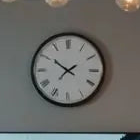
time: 1:50
